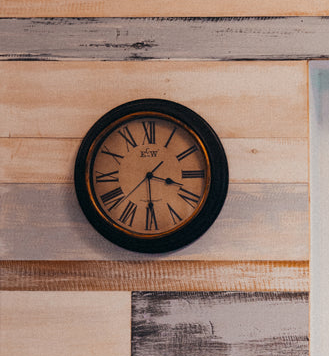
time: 3:29
